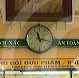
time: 11:17
